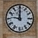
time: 11:46
